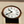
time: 10:39
